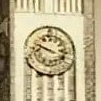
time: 9:48
